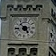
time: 4:52
